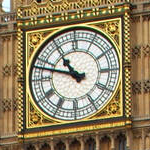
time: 10:47
